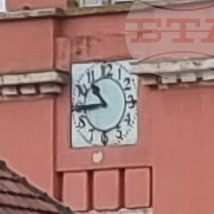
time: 10:44
